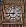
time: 9:01
